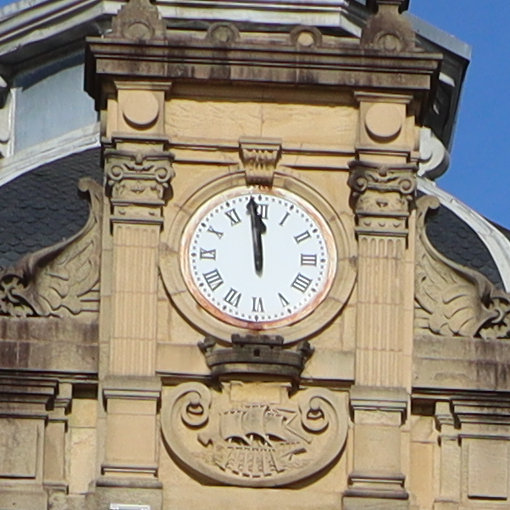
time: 11:58
